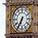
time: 6:35
